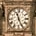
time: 11:25
